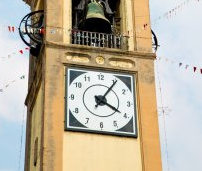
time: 4:05
